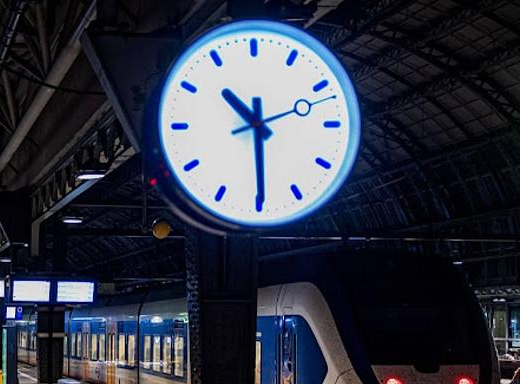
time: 10:29
